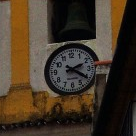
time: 2:20
